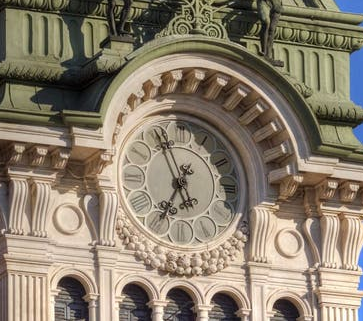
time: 6:56
